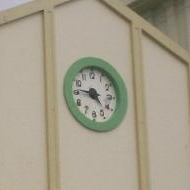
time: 4:46
